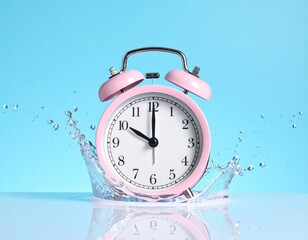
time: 10:00
